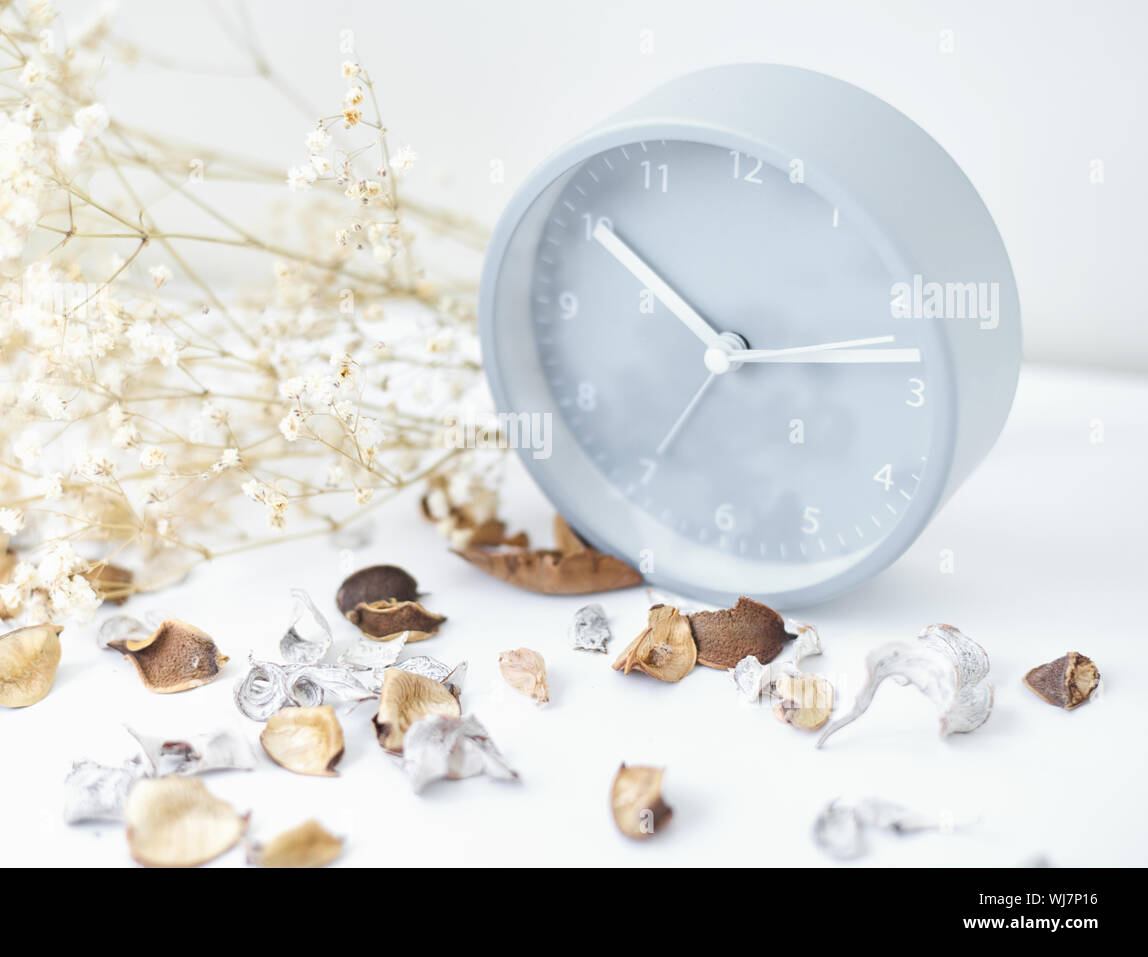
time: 10:13
